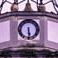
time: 5:29
